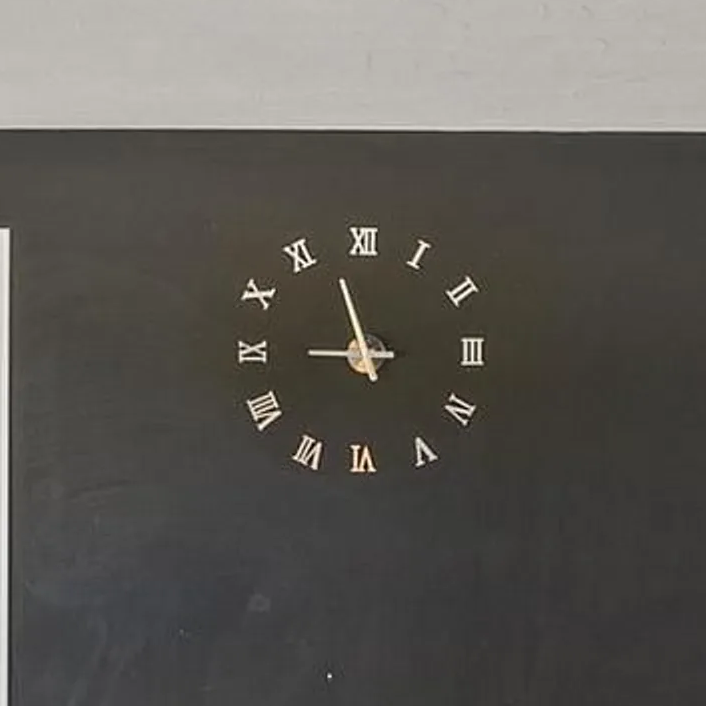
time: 8:57
